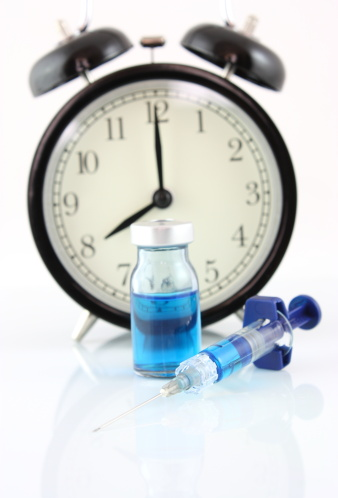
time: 8:00
